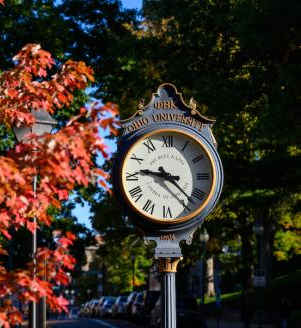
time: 9:22
